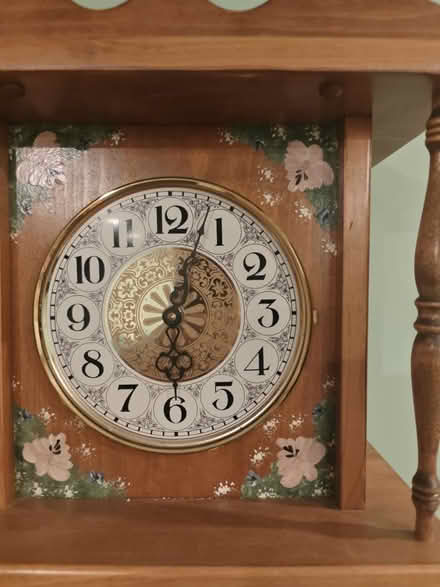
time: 6:03
